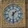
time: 1:30
